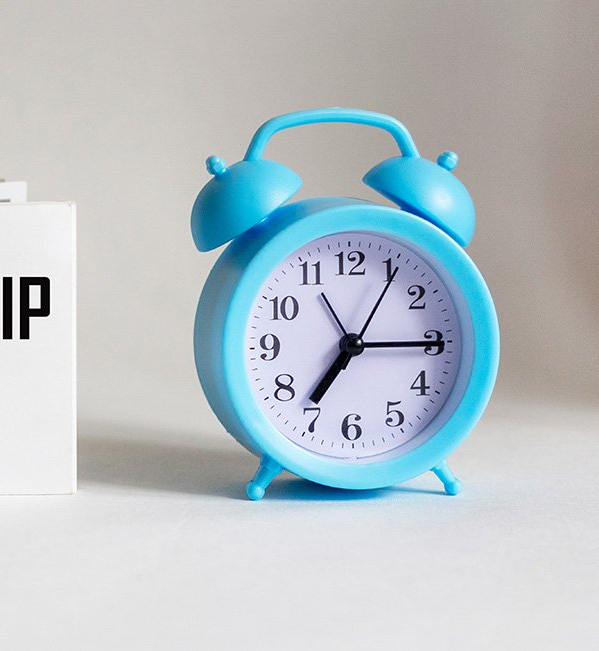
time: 7:15
